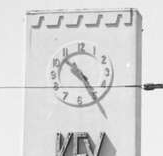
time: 10:24
